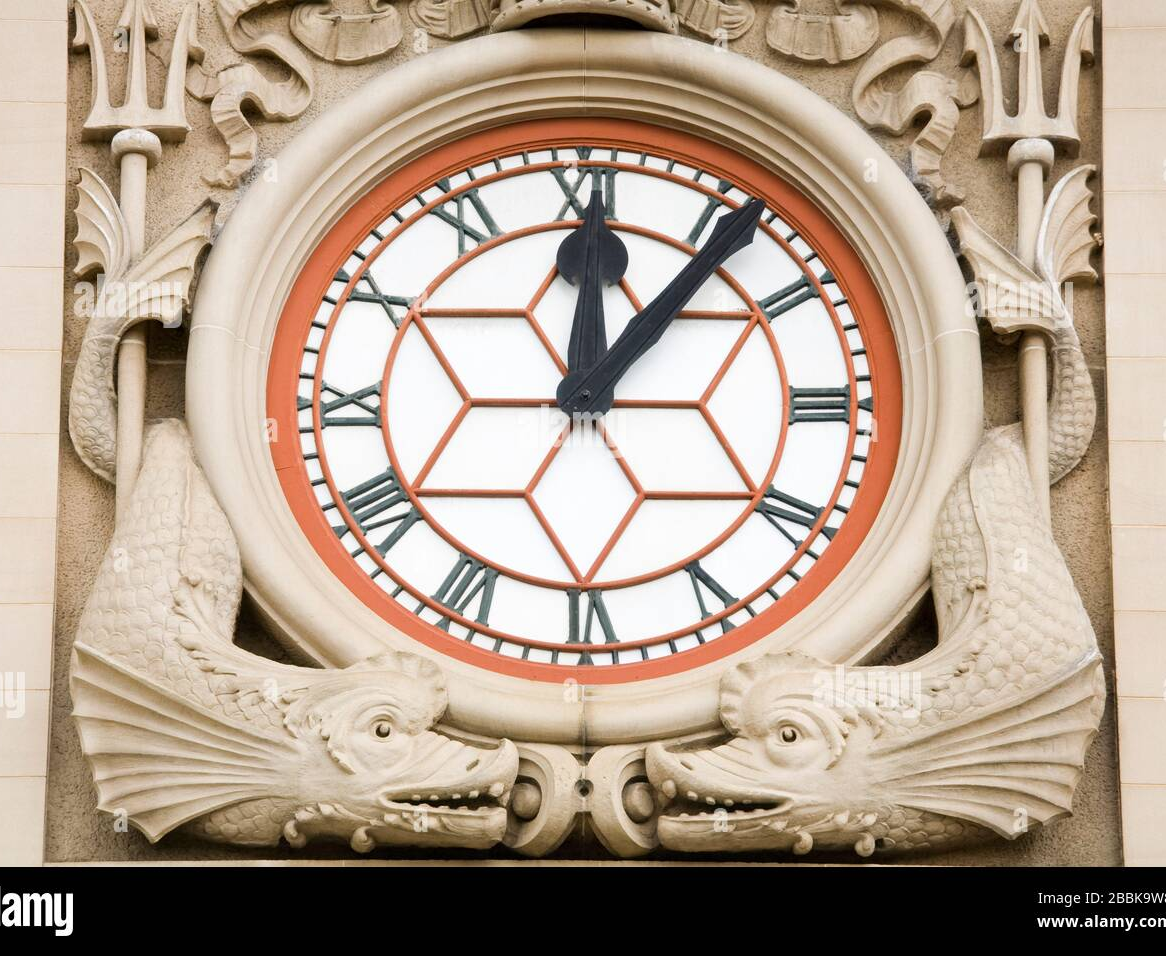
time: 12:06
